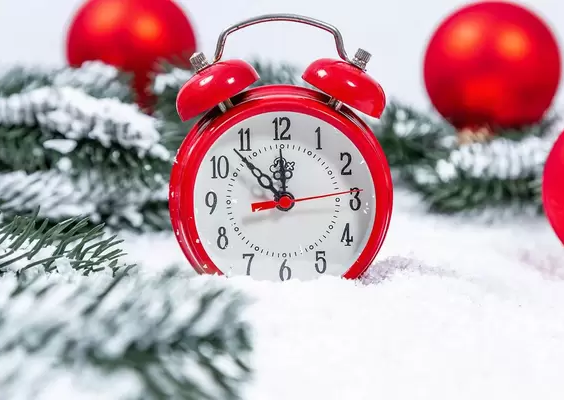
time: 11:53
